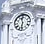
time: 11:32
